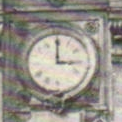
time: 3:00
